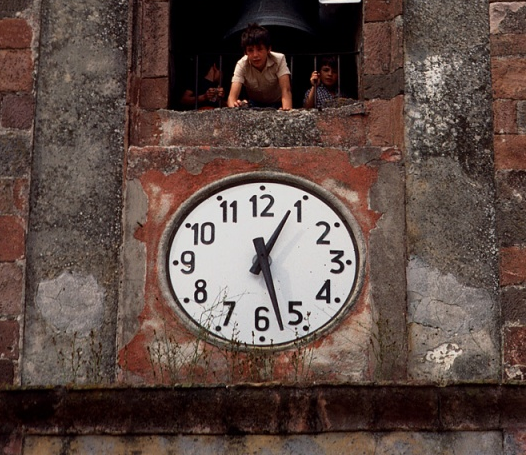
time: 12:27
